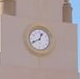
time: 12:40
